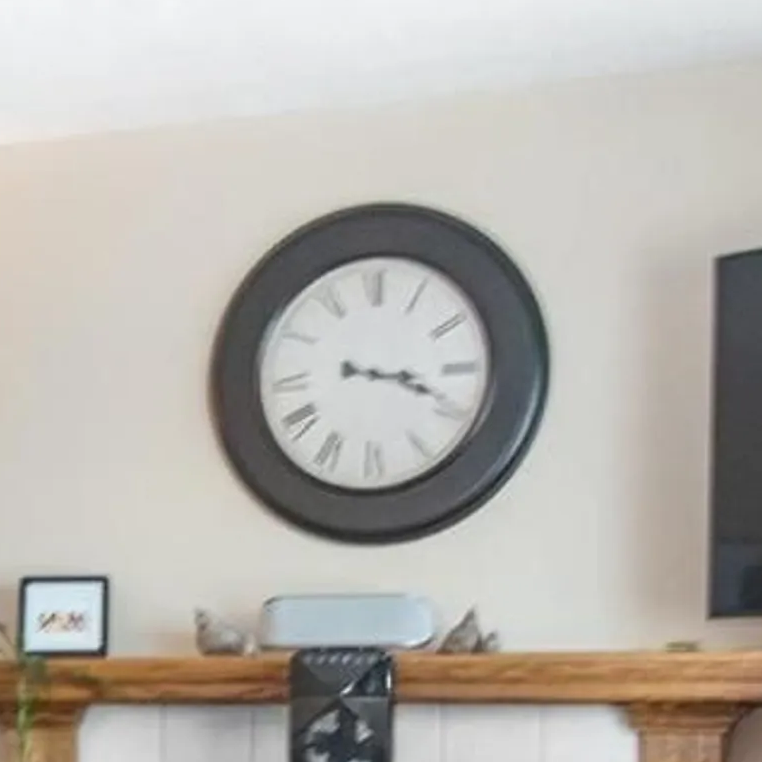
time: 3:18
